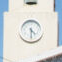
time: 4:29
